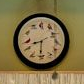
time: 8:30
